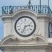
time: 2:33
